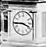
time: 3:44
